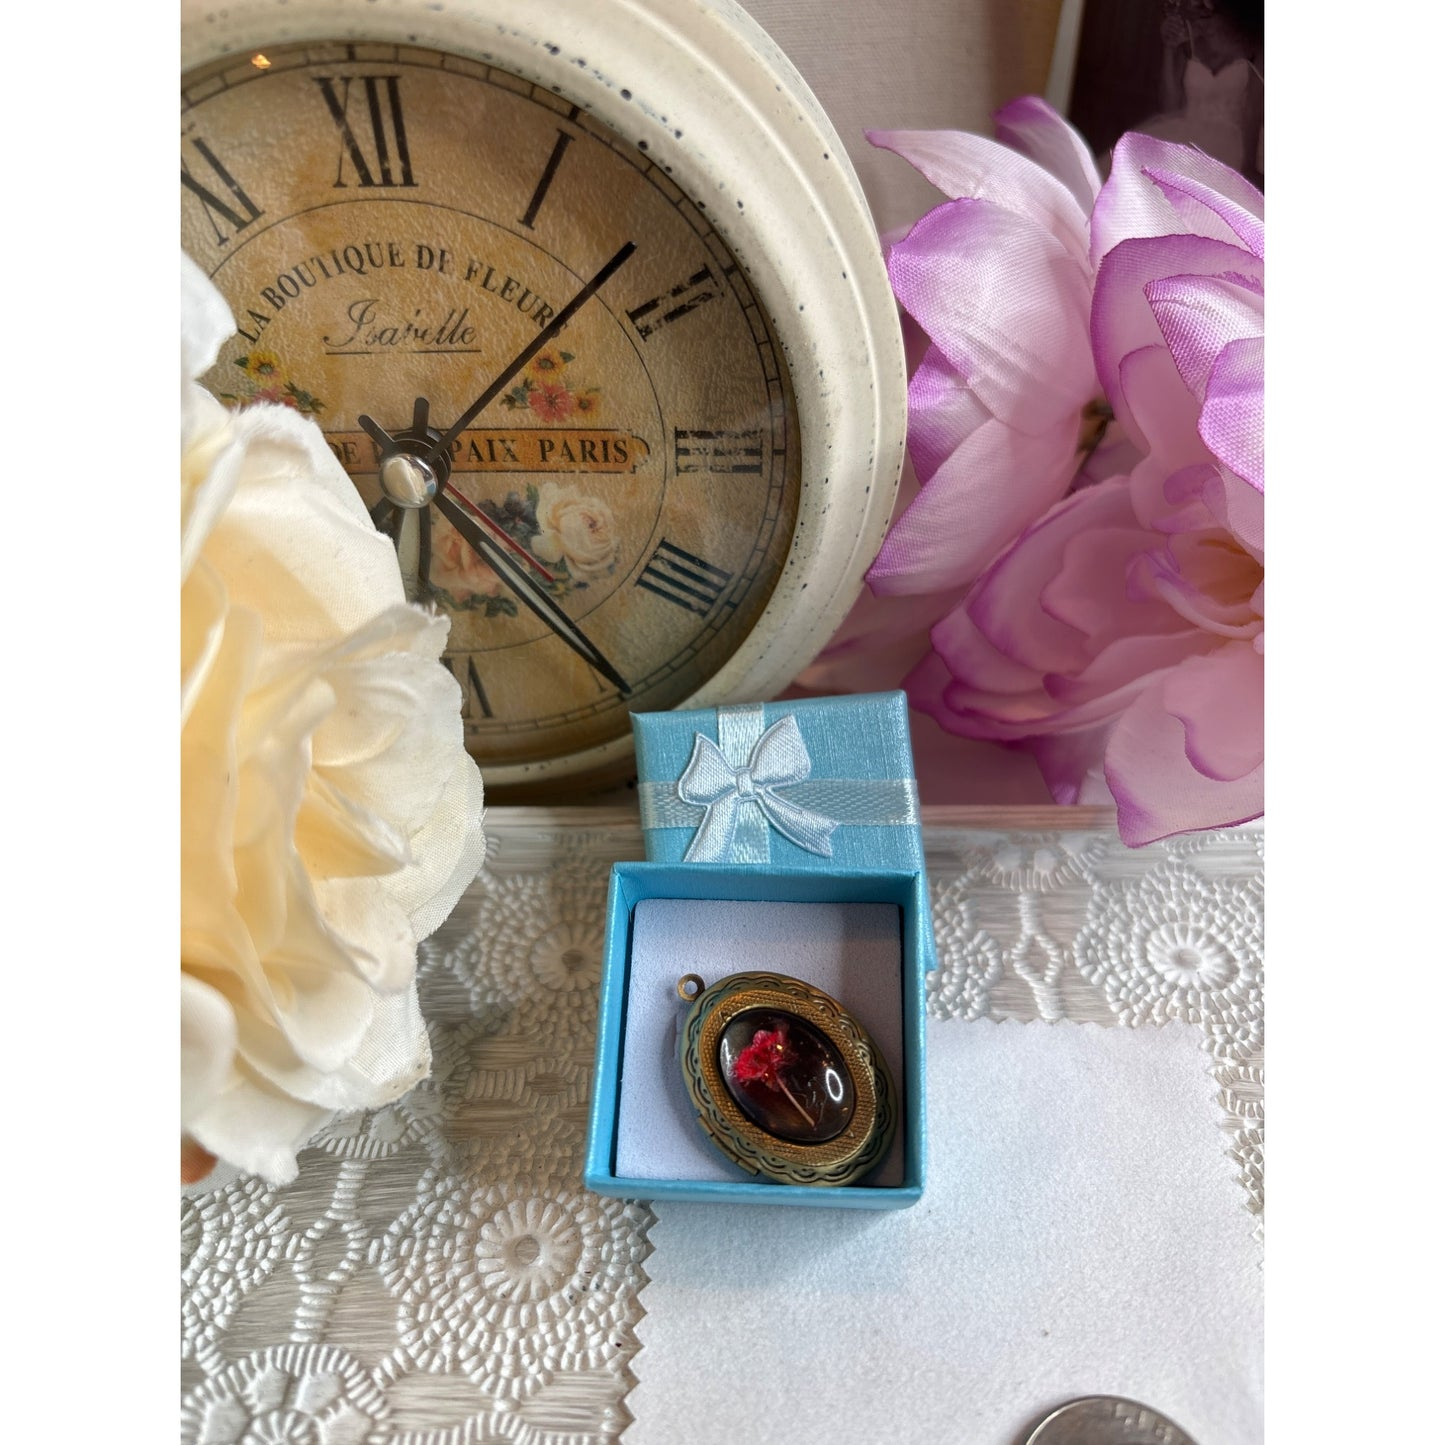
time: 4:08
